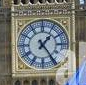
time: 1:24
